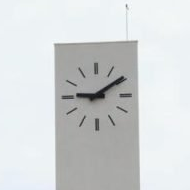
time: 9:09
